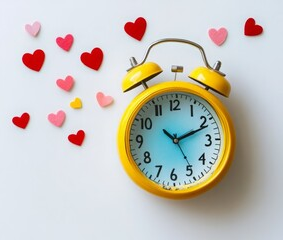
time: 10:11
